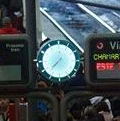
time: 7:37
